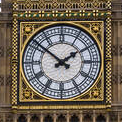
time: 1:51
